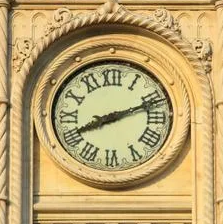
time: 8:11
